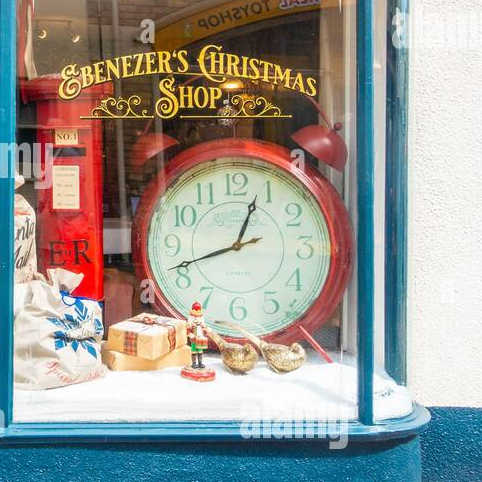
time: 12:41
